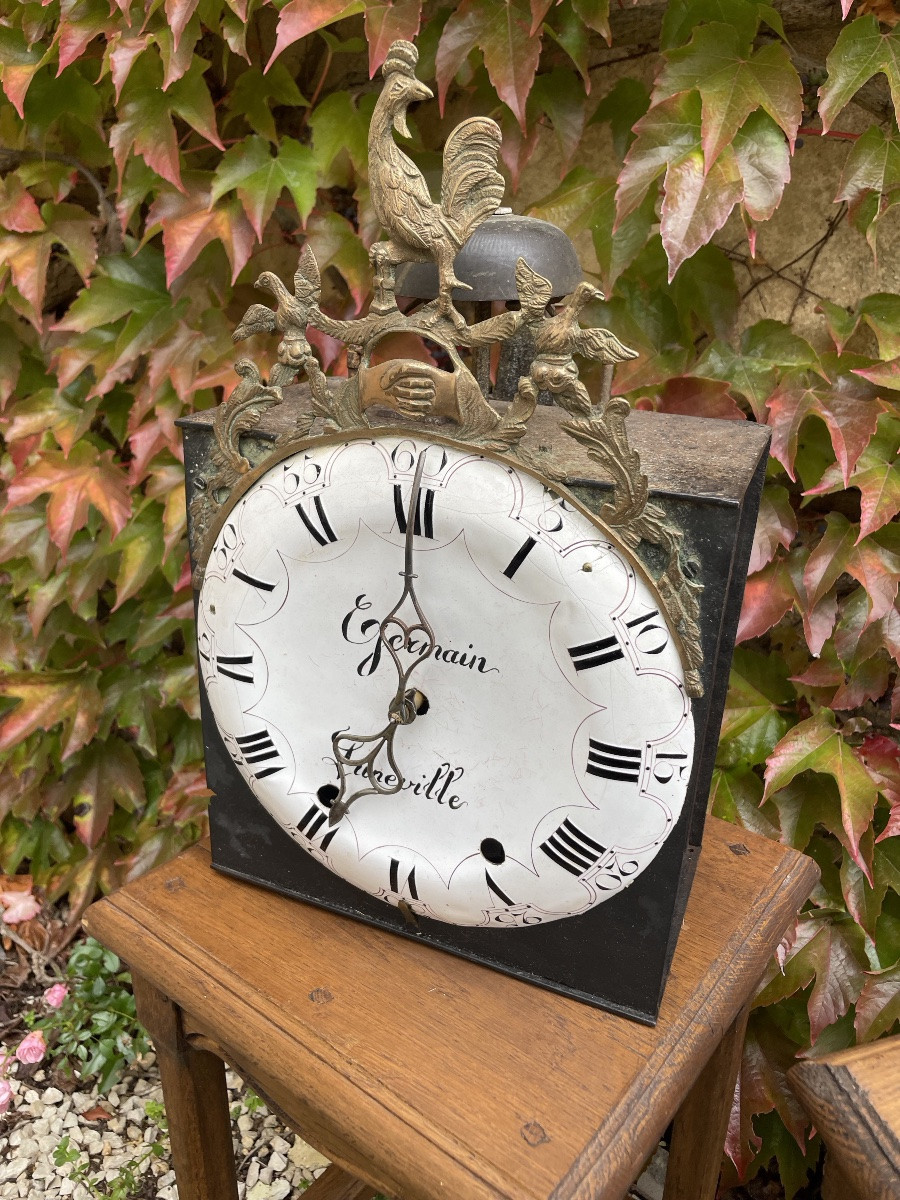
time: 6:58
